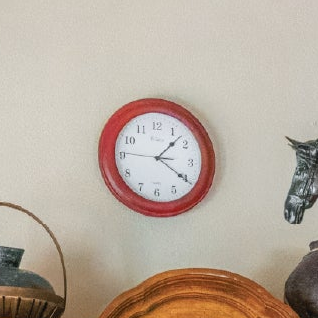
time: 1:20
